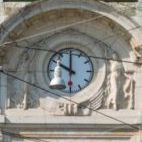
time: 10:00
